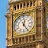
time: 12:24
